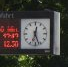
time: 12:26
